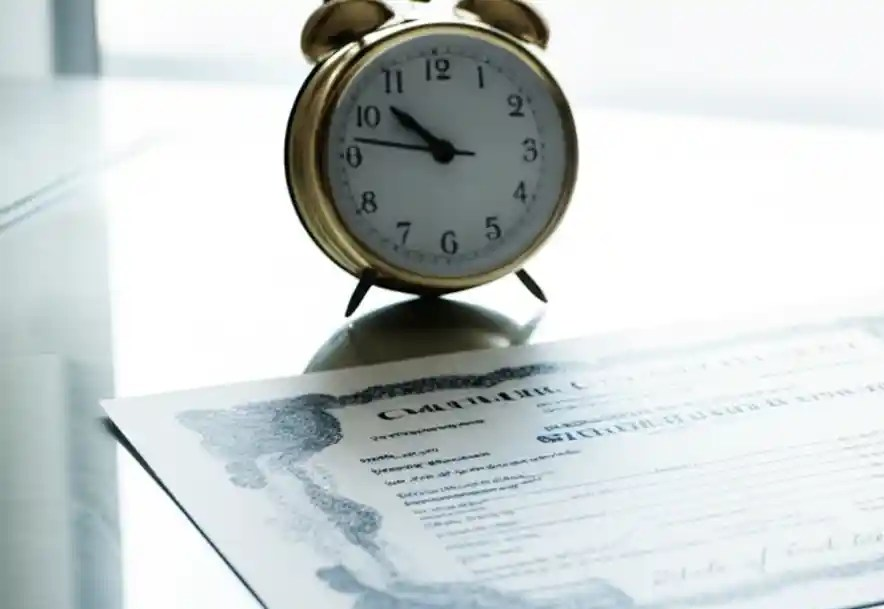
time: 10:46
